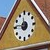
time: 11:46
